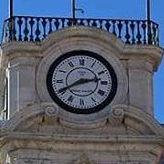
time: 2:40
